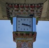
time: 3:17
